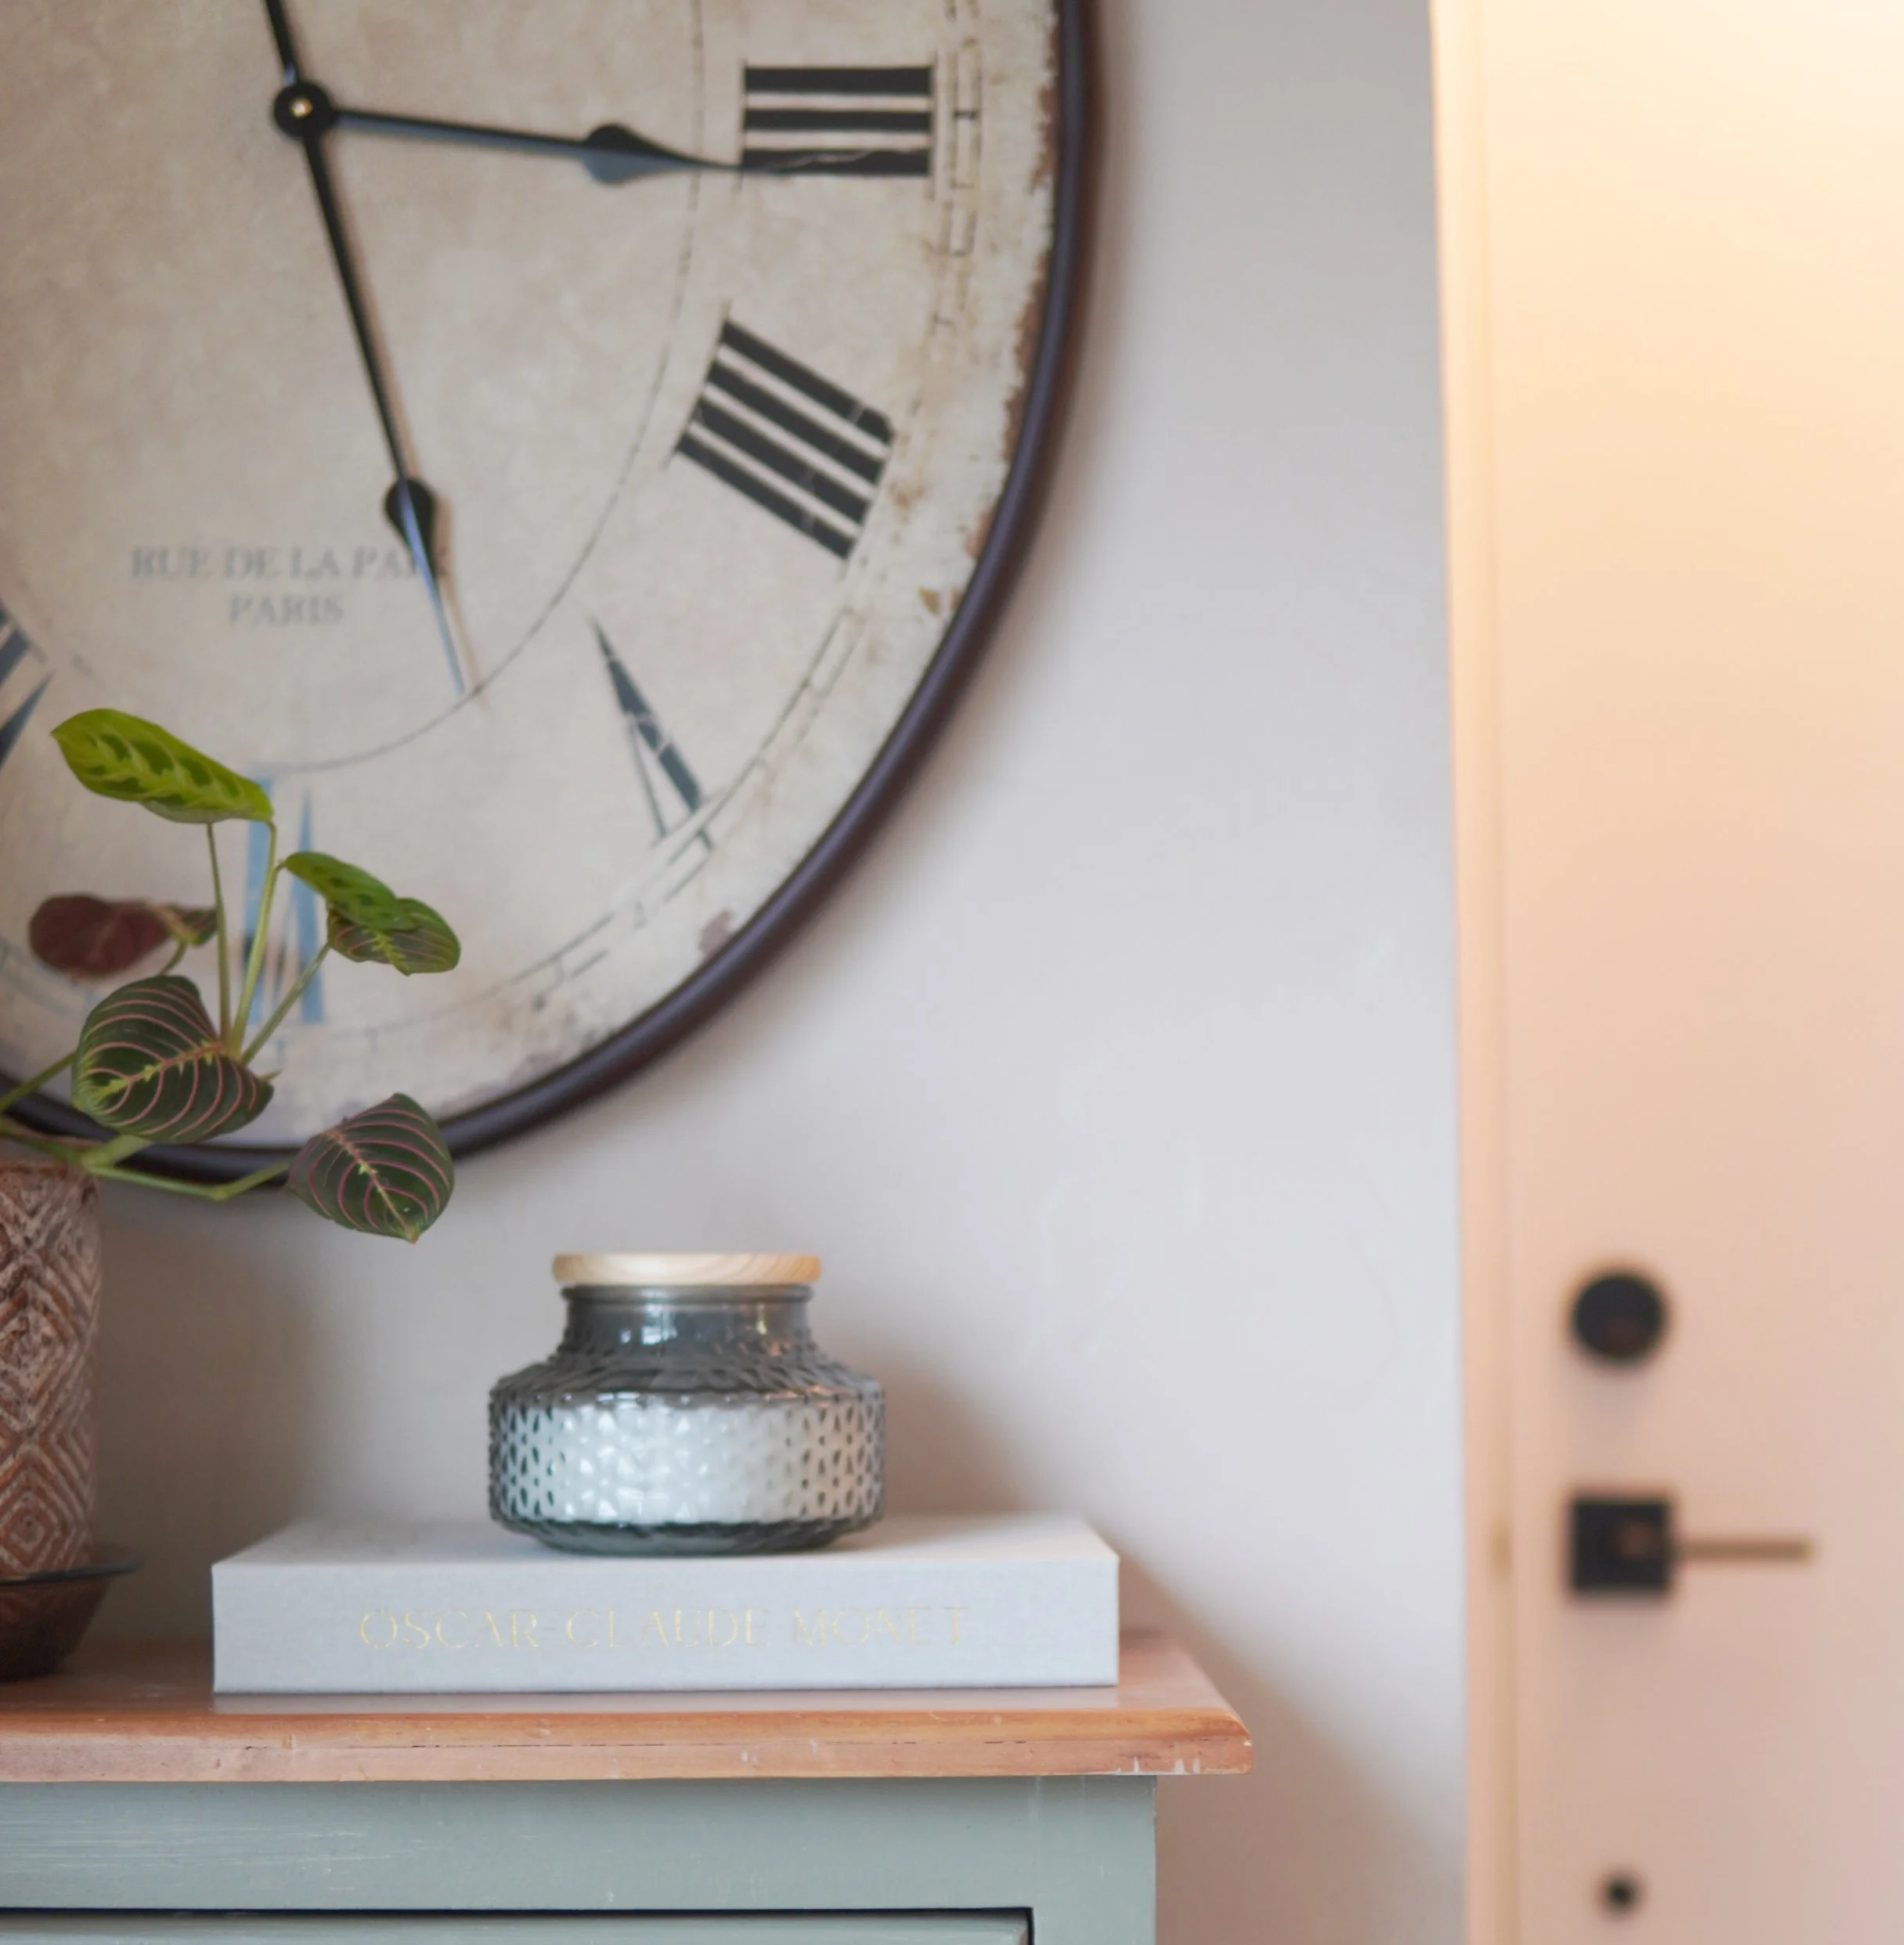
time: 5:16
